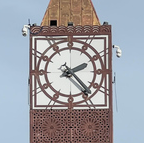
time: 2:23
